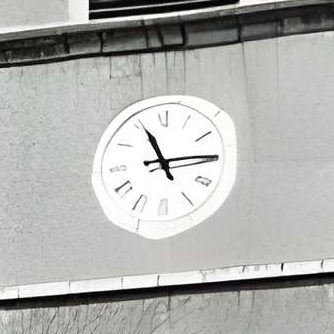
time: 11:14
